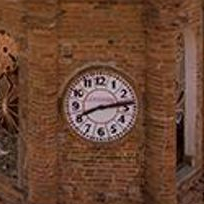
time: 8:13
